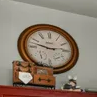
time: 2:47
